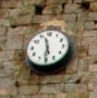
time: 11:30
